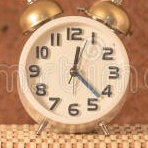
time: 12:22
